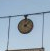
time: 4:07
